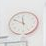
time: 11:49
